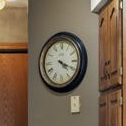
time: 4:19
